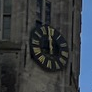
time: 11:59
